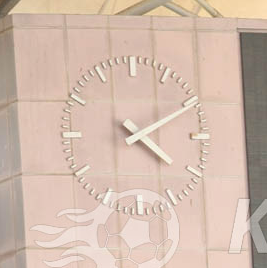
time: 4:10
